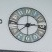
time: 2:38
